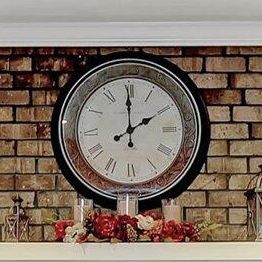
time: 2:00
